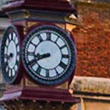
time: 8:40
